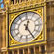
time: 12:24
